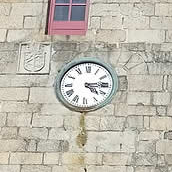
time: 4:14
